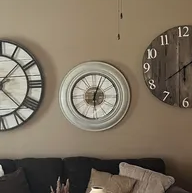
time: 6:03
